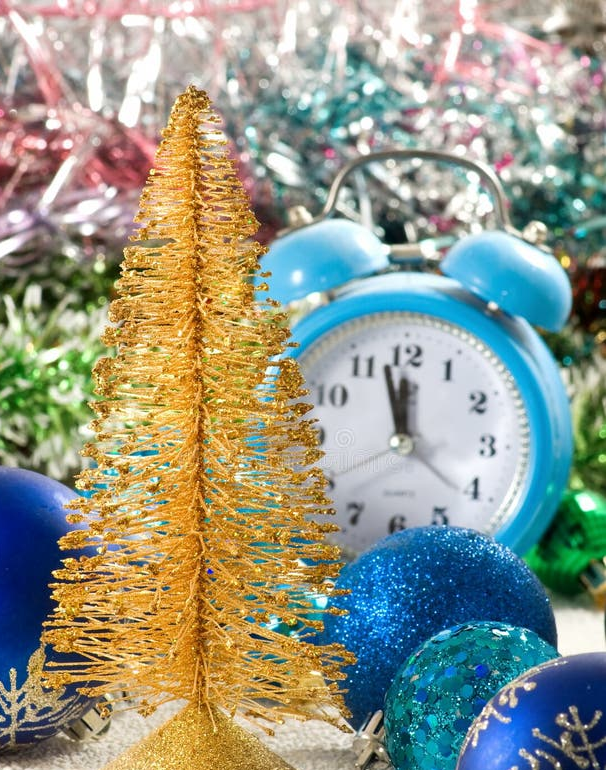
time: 11:57
